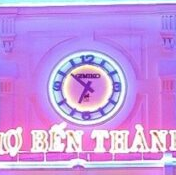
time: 6:52
